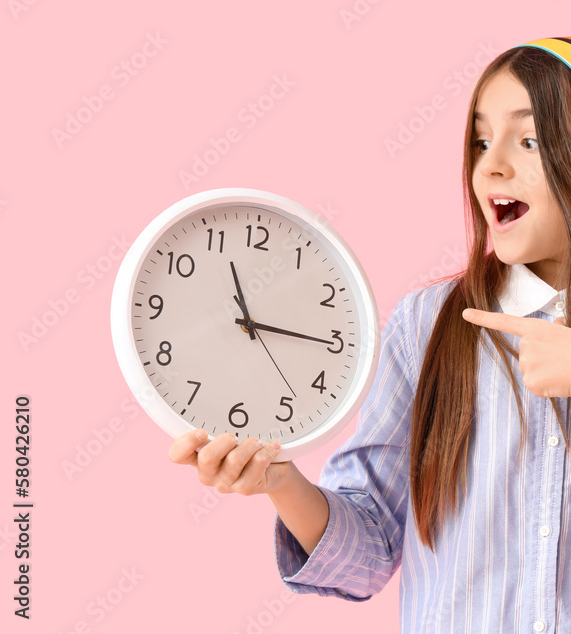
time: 11:15
